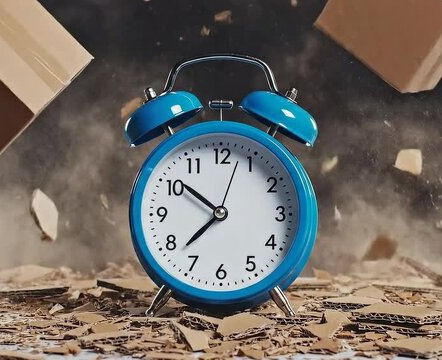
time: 7:51
